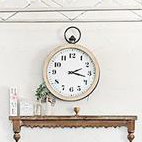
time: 2:17
